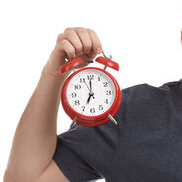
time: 7:00
